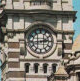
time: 2:43
